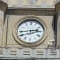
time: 2:44
